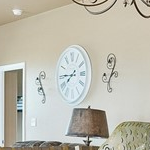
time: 7:45
